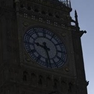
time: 9:28
